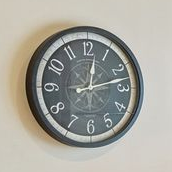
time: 12:12
